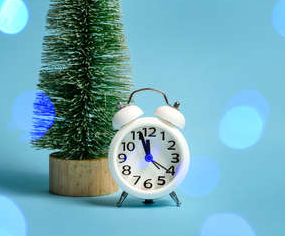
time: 11:56
